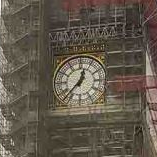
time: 12:37
